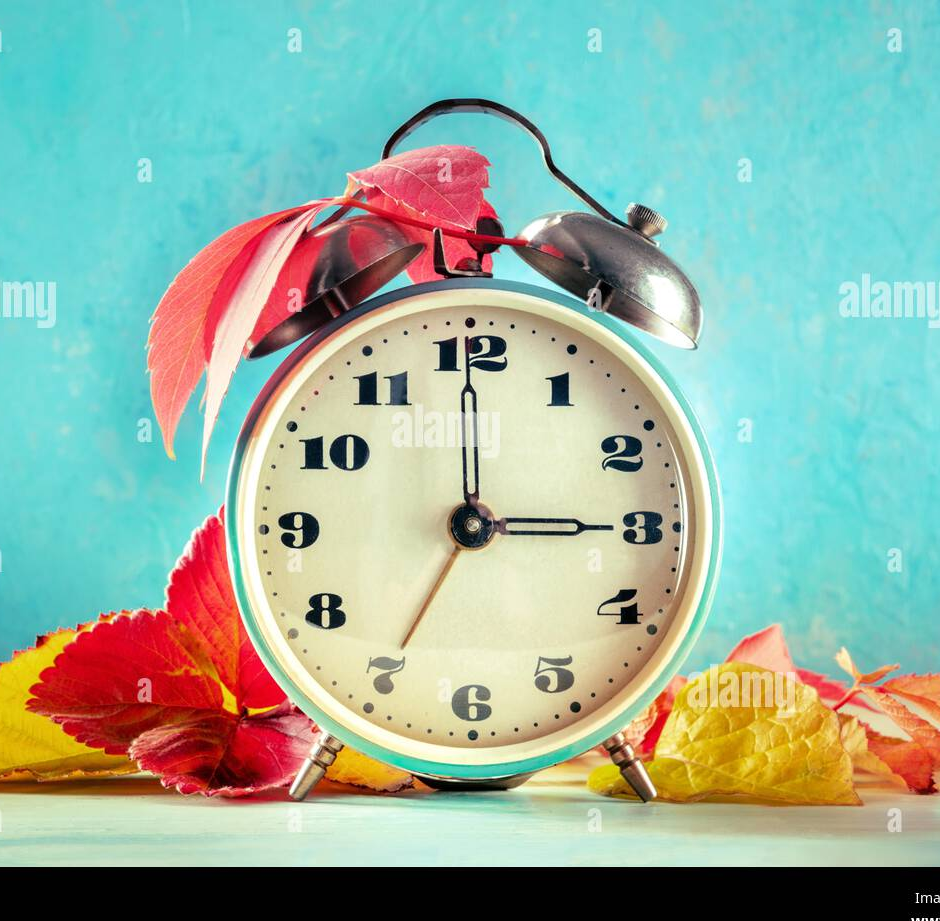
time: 3:00
